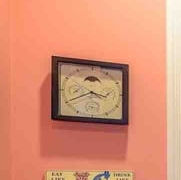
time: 3:40
